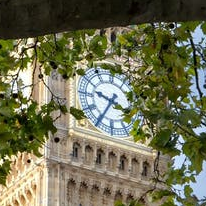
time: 9:35
